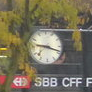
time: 9:18
